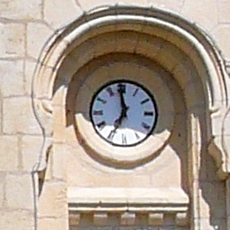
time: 6:58
